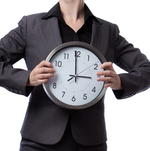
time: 2:59
